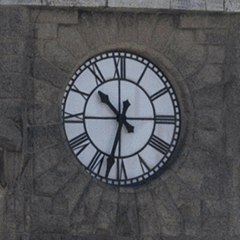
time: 10:32
